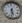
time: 5:31
